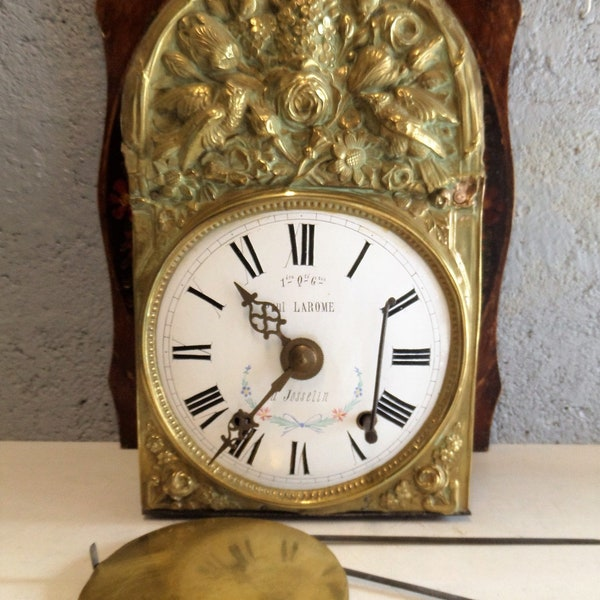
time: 10:36
